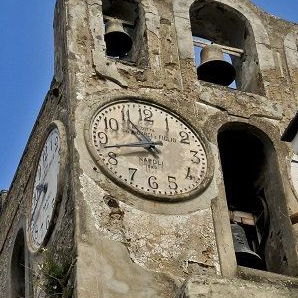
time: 10:42
